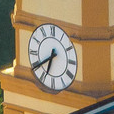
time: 6:39
